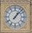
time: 1:07
